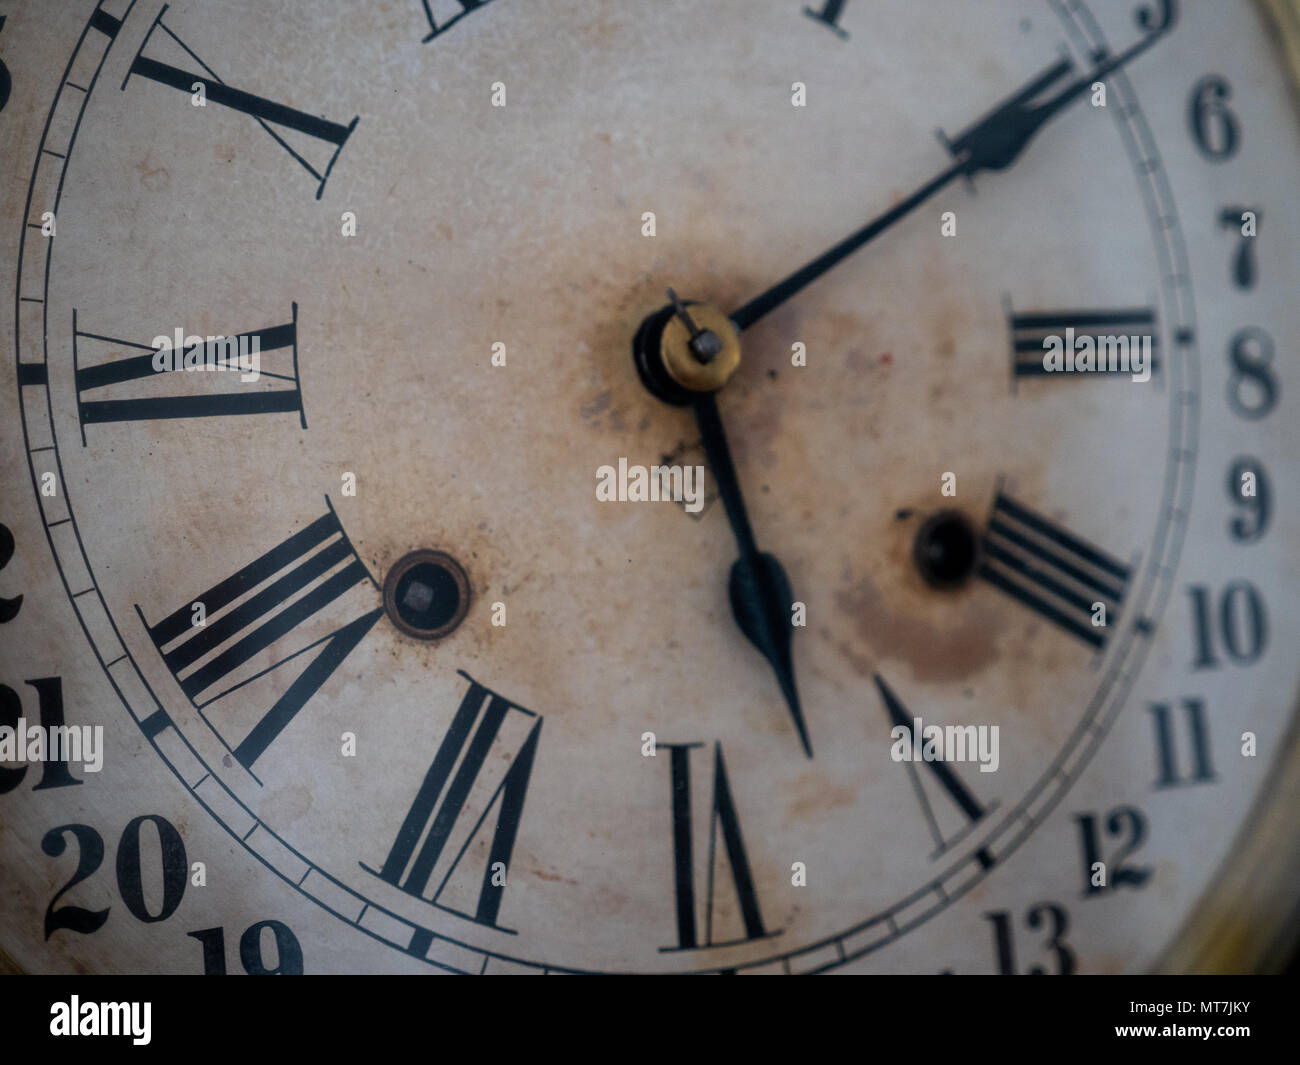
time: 5:10
